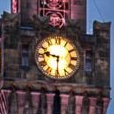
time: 9:30
